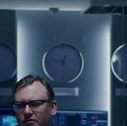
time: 12:47
